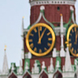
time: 12:58
